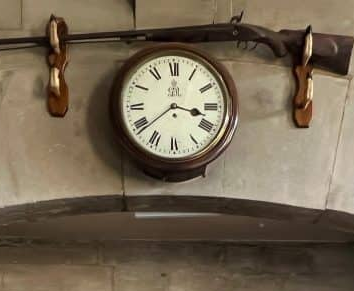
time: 3:38
